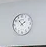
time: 1:52
